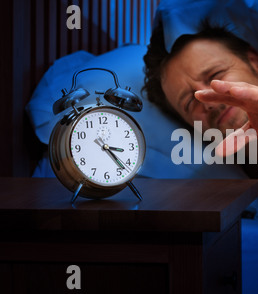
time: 3:23
